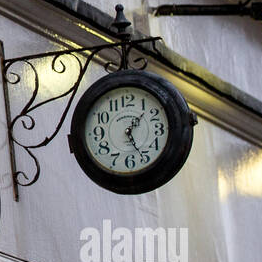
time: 1:26
